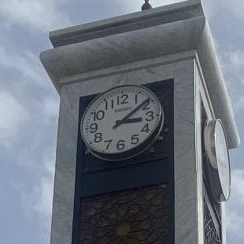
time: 3:08
